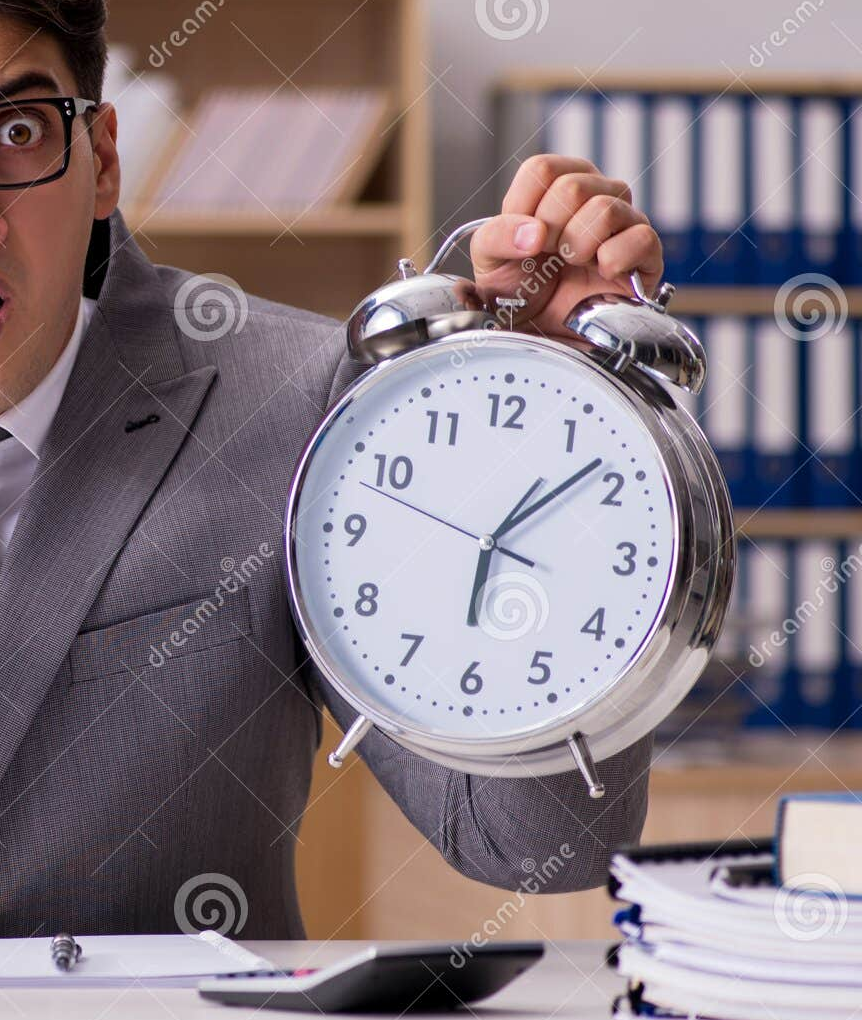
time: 6:08
